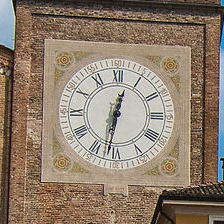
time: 12:31
